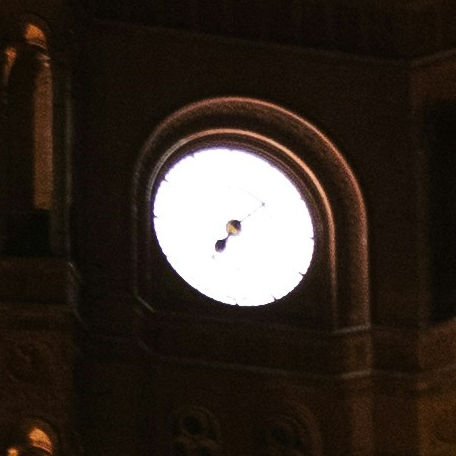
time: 7:08
